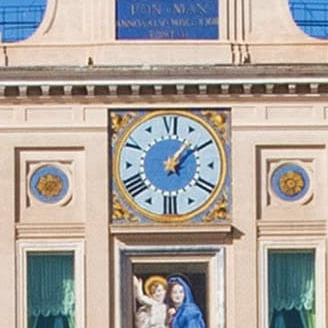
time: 1:09
